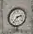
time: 2:36
